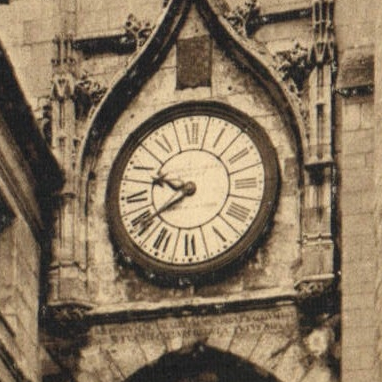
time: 9:40
